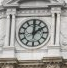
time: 2:00
